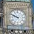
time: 9:48
